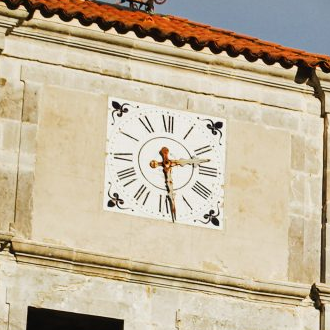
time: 2:28
